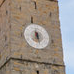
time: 6:27
